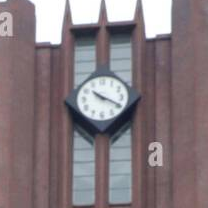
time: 10:19
